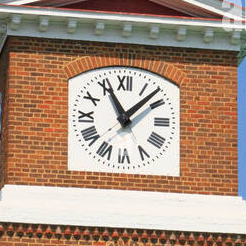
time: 11:07
